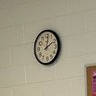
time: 2:01
